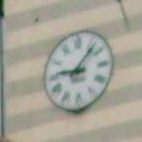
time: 9:07
